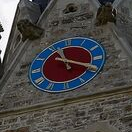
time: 11:18
